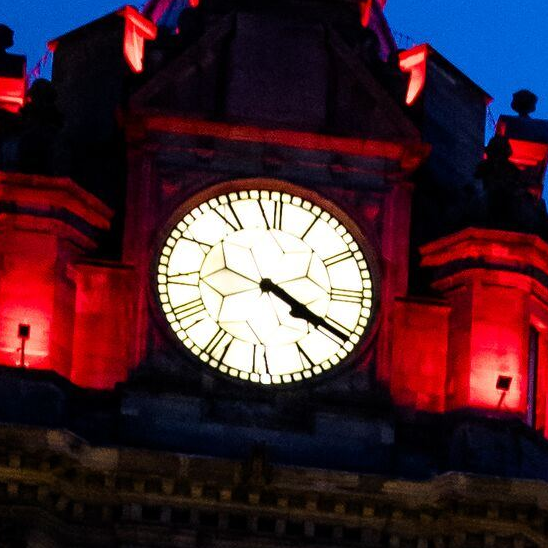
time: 4:20
